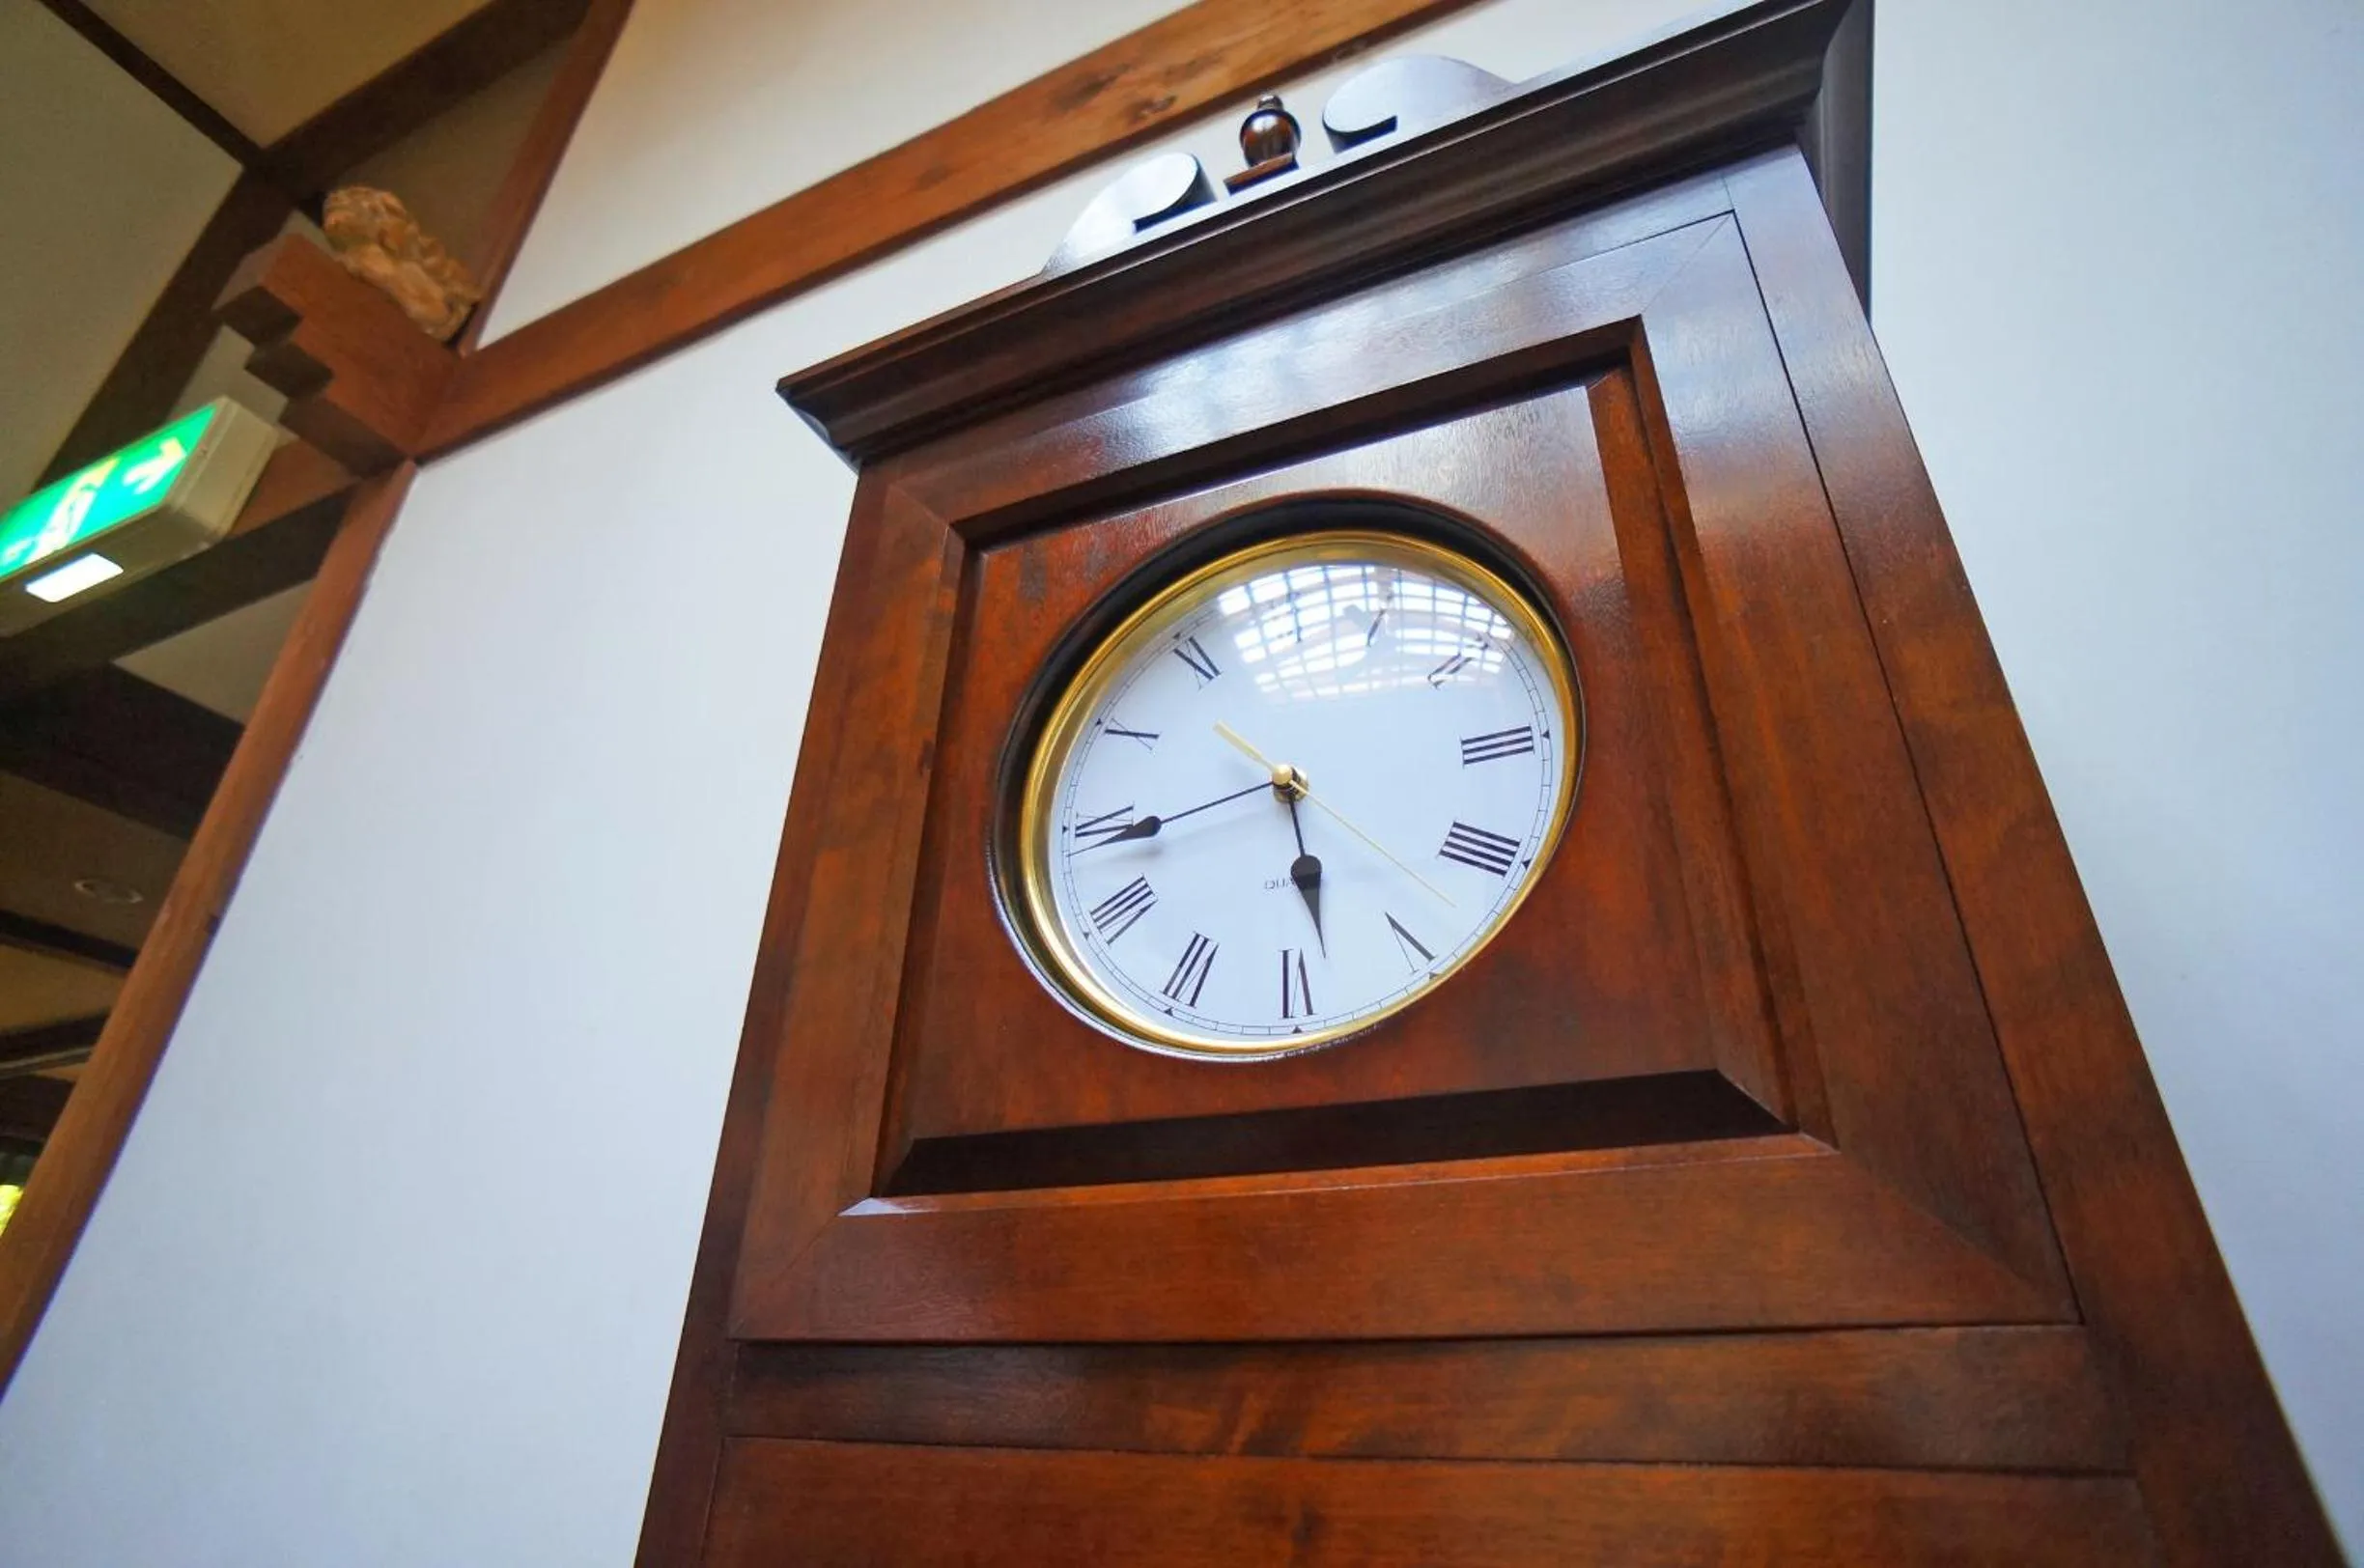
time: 5:45
